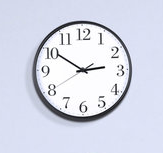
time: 2:50
